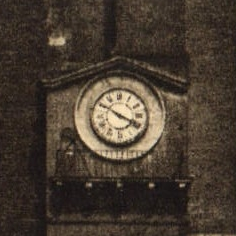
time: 3:50
